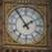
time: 1:54
